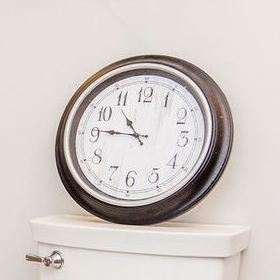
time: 10:45
